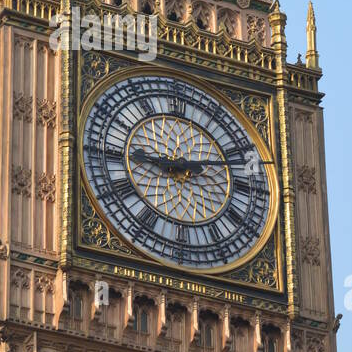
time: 9:11
